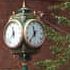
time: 11:36
